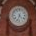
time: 4:32
